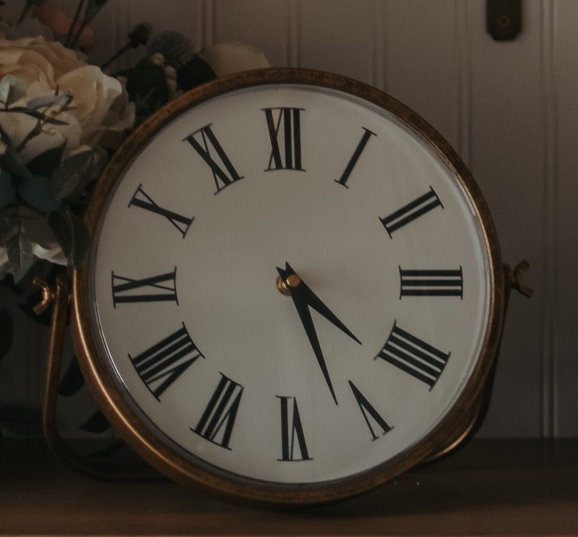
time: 4:26
